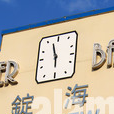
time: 5:57
